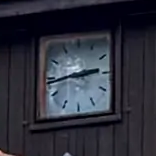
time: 2:43
